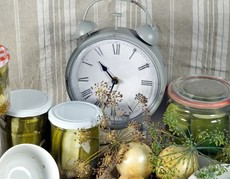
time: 10:33
